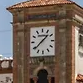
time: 1:38
